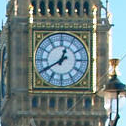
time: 12:40
